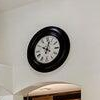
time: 10:02
